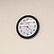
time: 9:22
